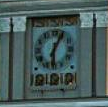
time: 6:05
